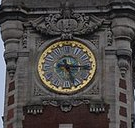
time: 5:15
